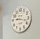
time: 9:17
